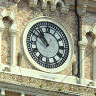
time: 10:51
